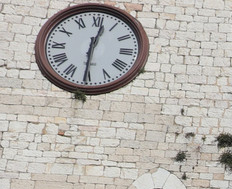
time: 12:30
